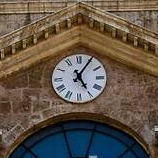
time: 5:05
